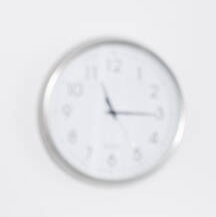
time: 11:15
